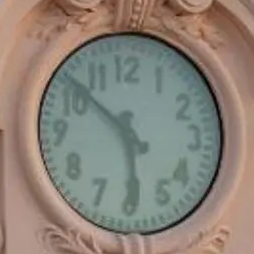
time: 5:51
